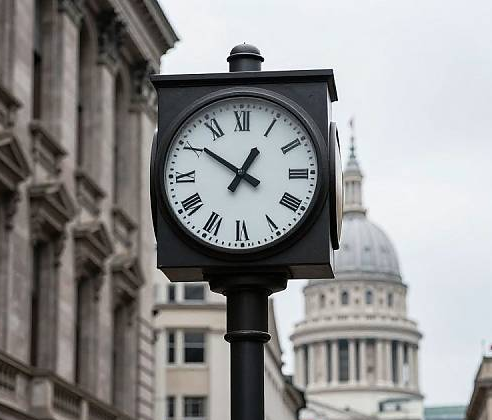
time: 12:50
